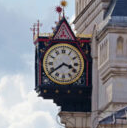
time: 3:40
